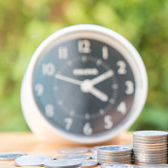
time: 4:10
